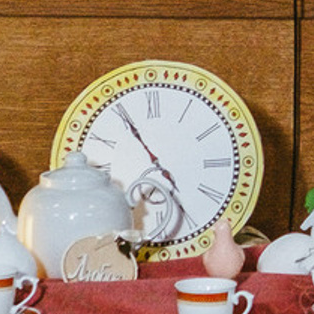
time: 4:54
